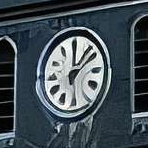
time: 12:07
